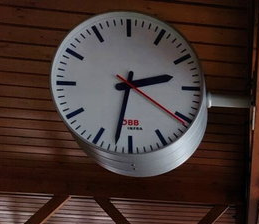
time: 2:32
